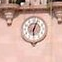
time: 6:03
